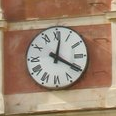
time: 12:19
